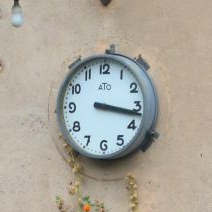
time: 3:17
